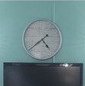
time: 4:38
